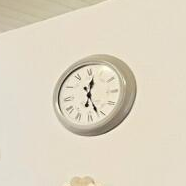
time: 12:26
